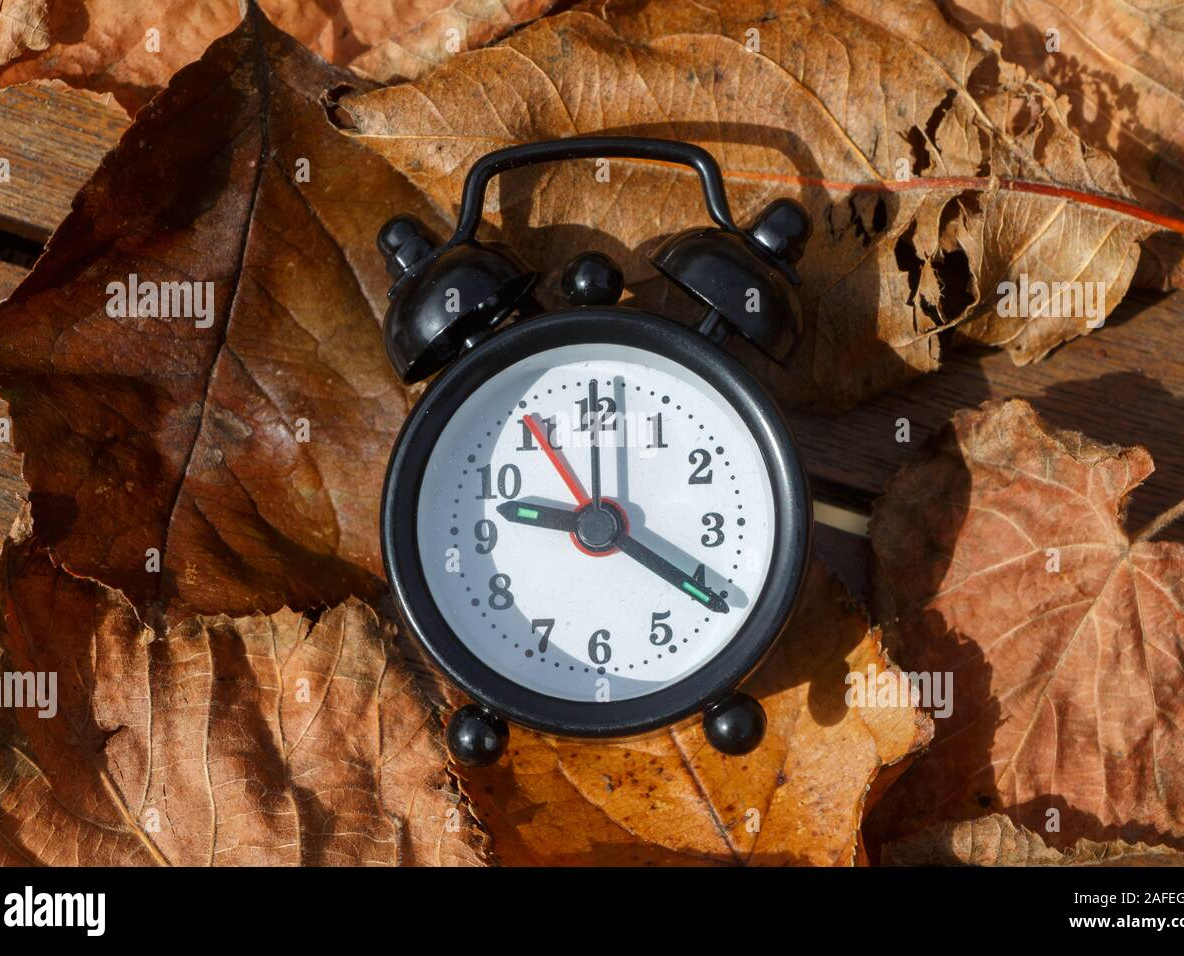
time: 9:20
